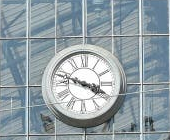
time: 3:47
